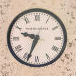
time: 9:33
